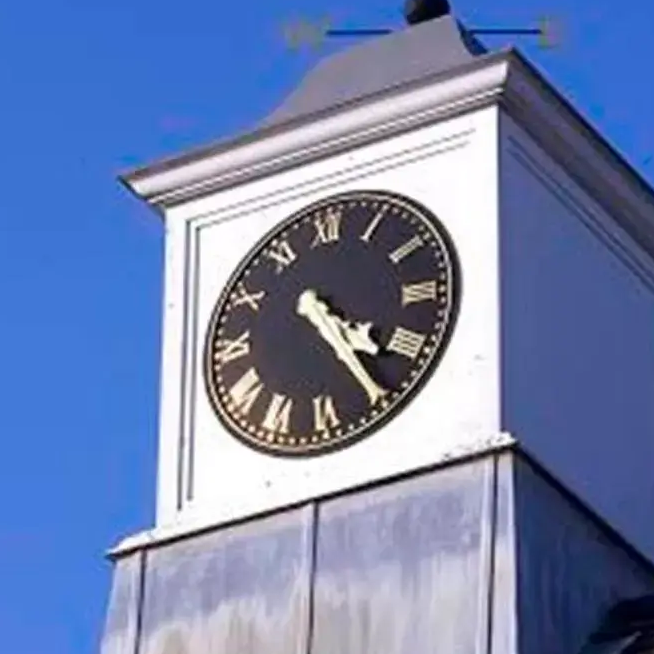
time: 4:24
